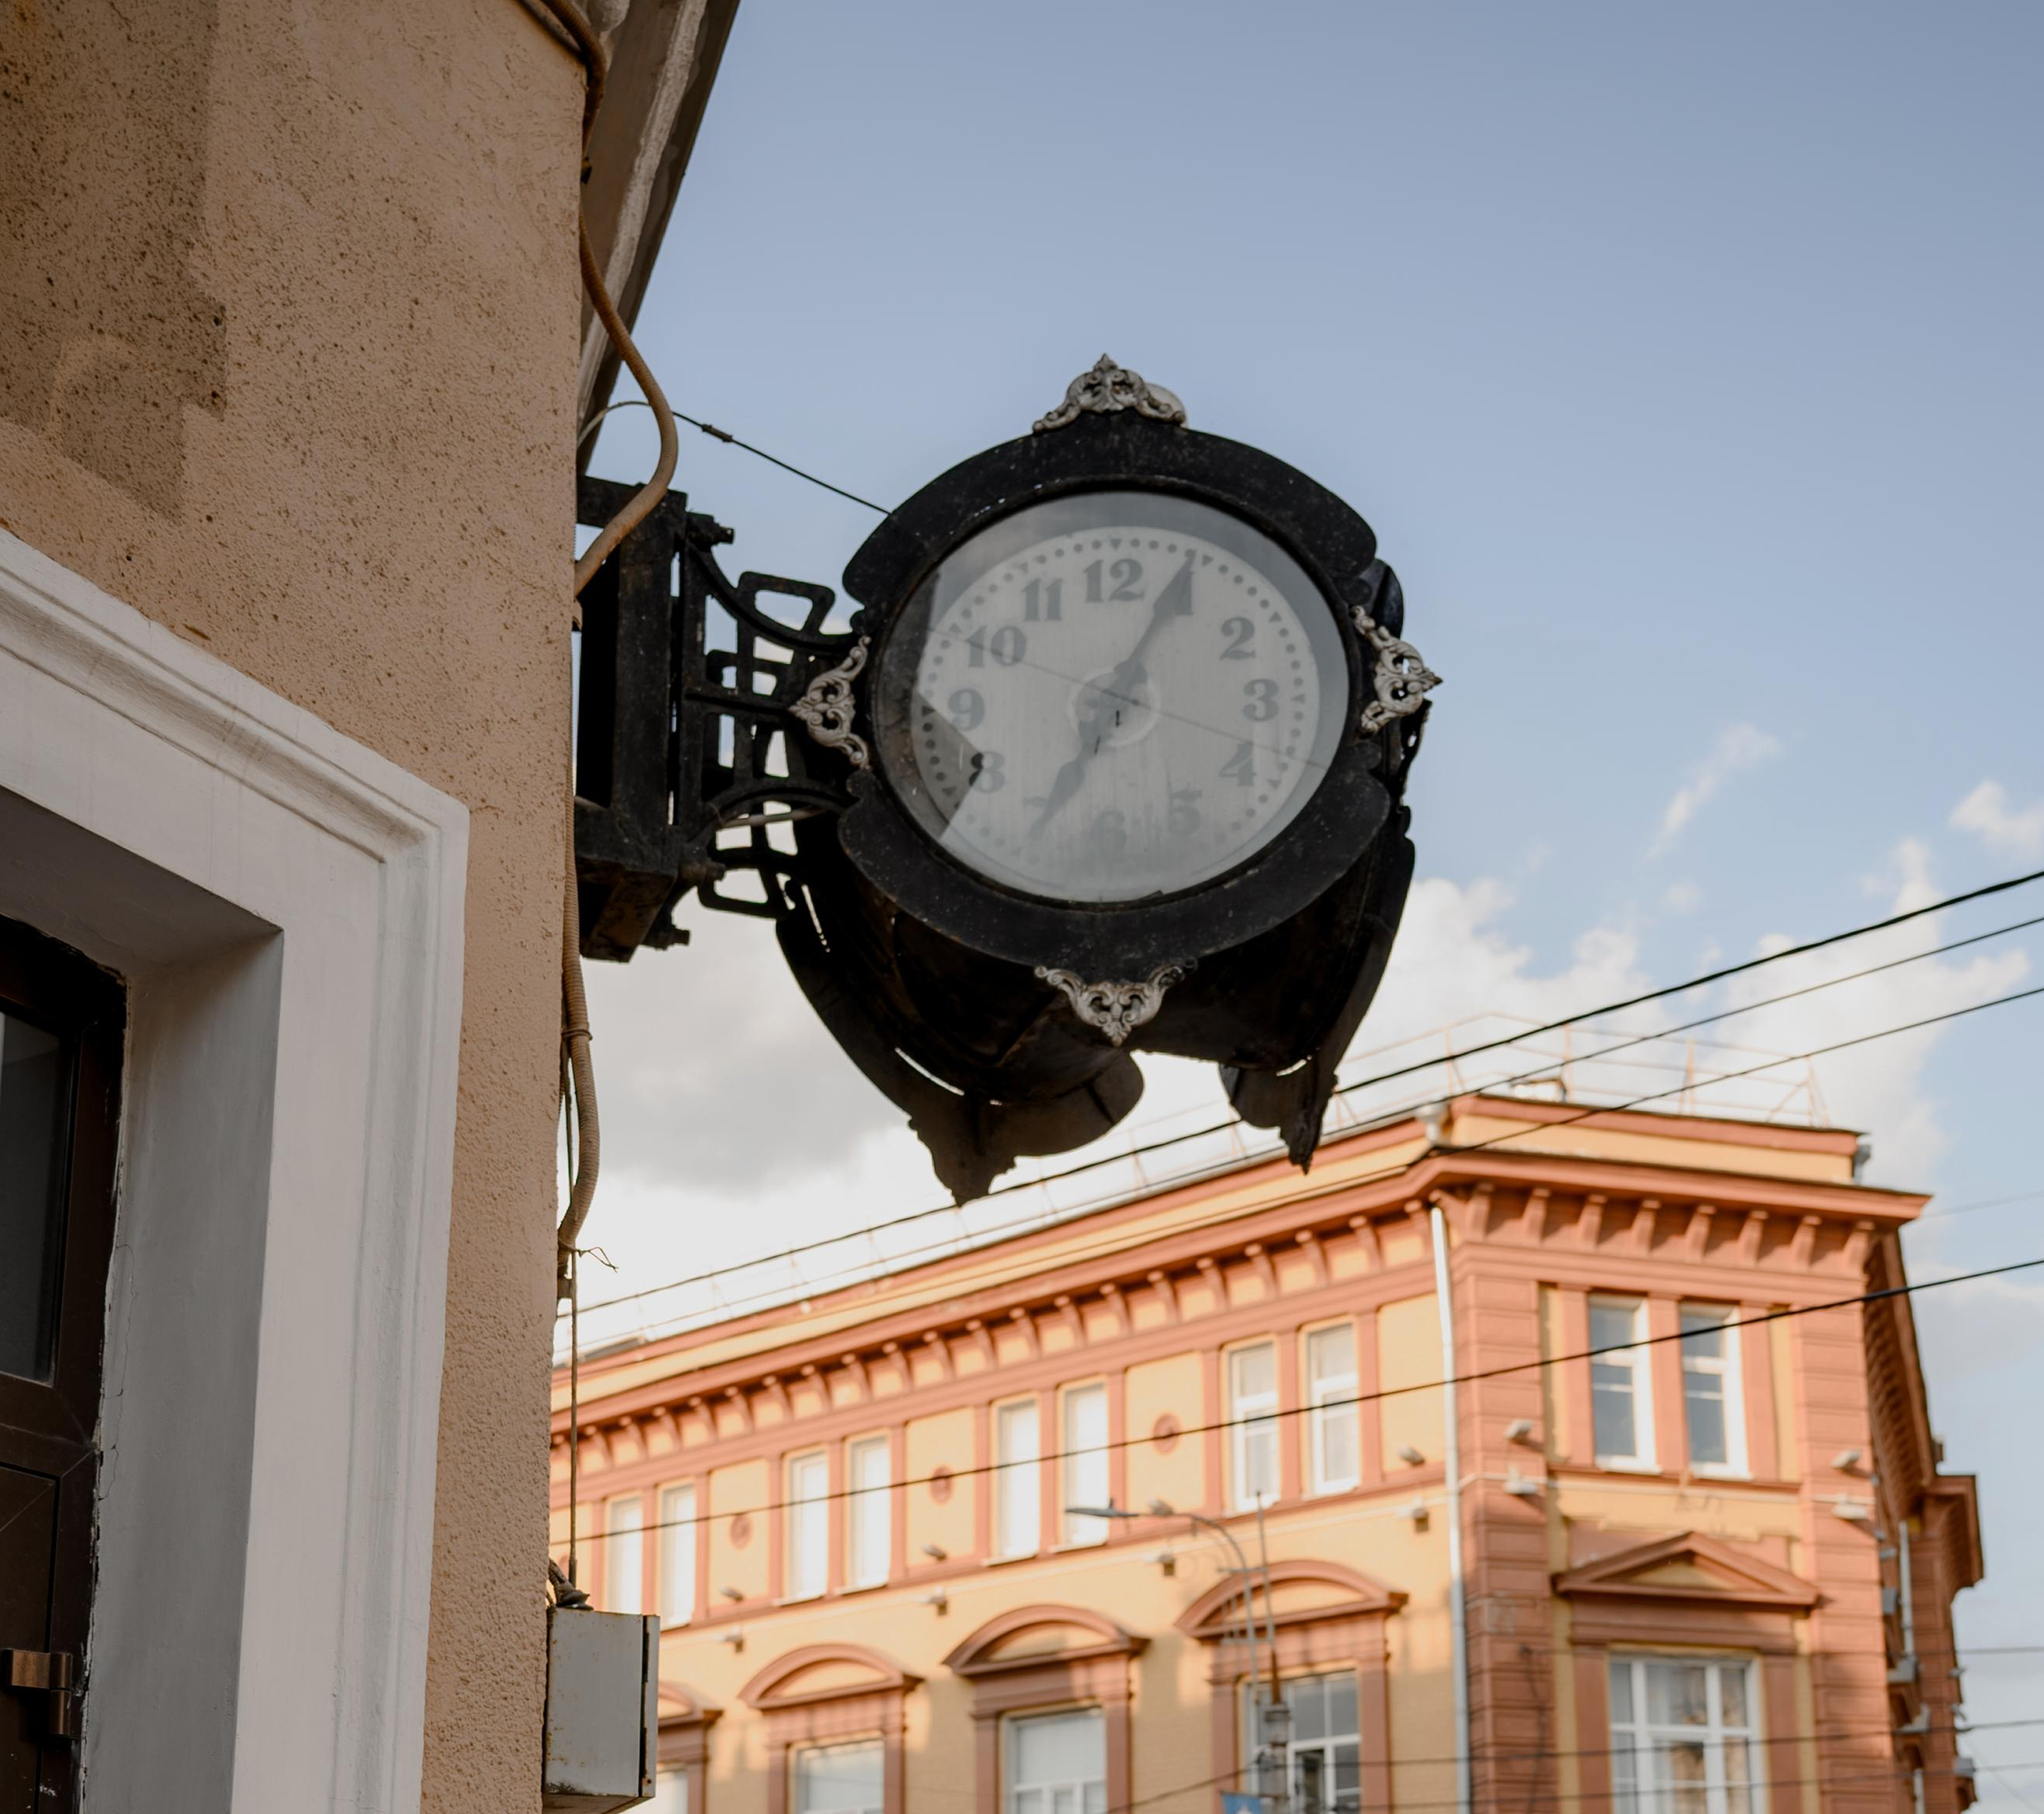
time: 7:04
